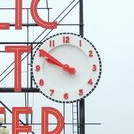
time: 9:50
